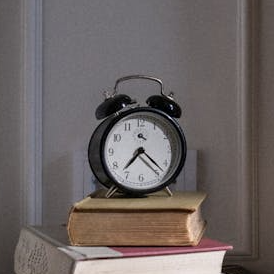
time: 7:22
